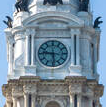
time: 5:46
